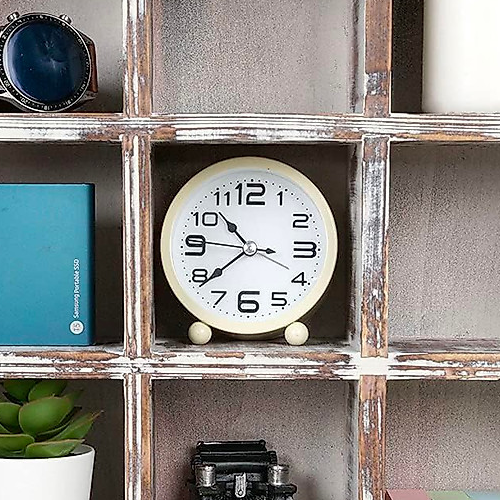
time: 10:38
